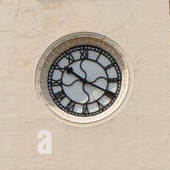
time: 10:19
